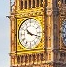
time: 10:17
